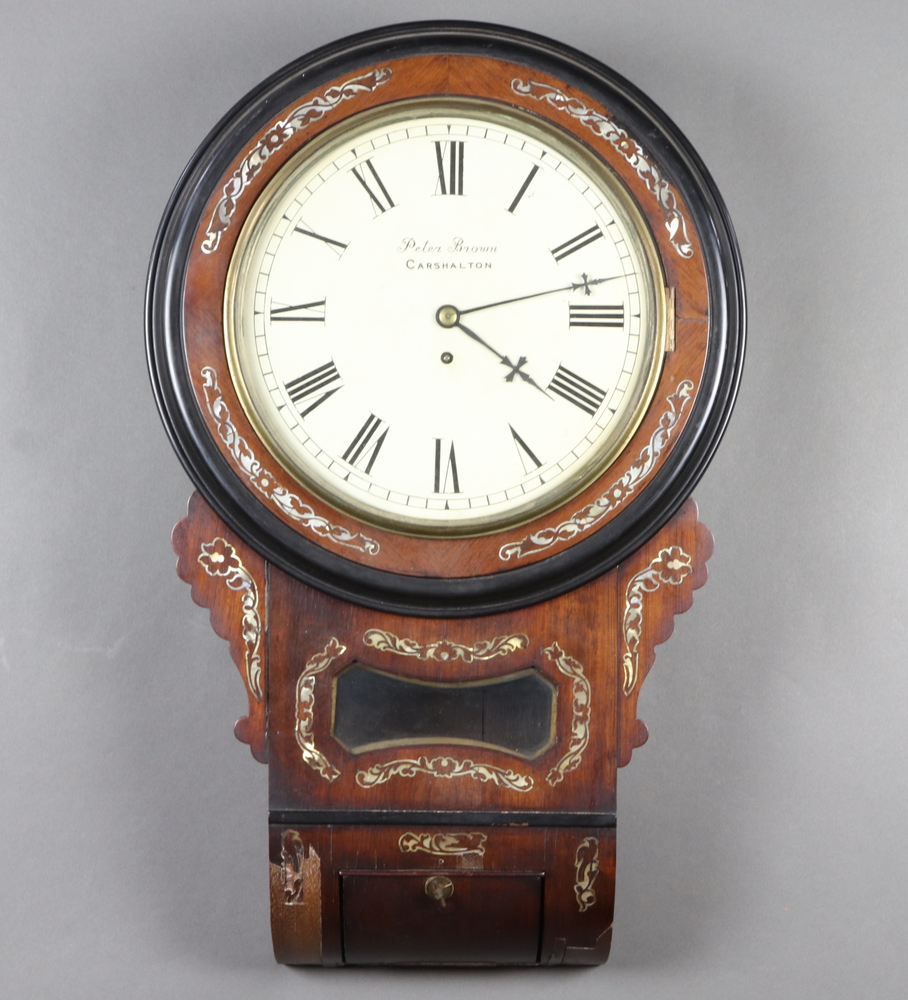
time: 4:12
